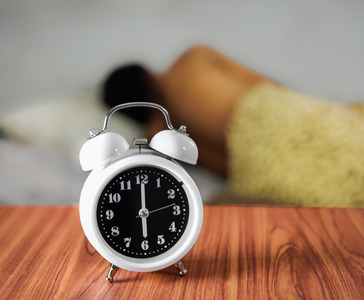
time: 6:00
